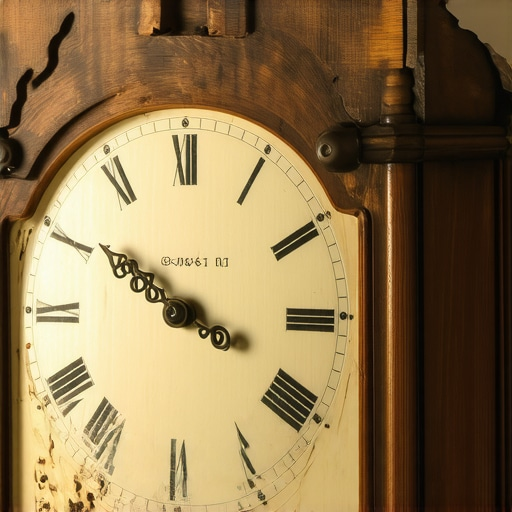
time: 3:50
